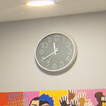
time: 11:39
